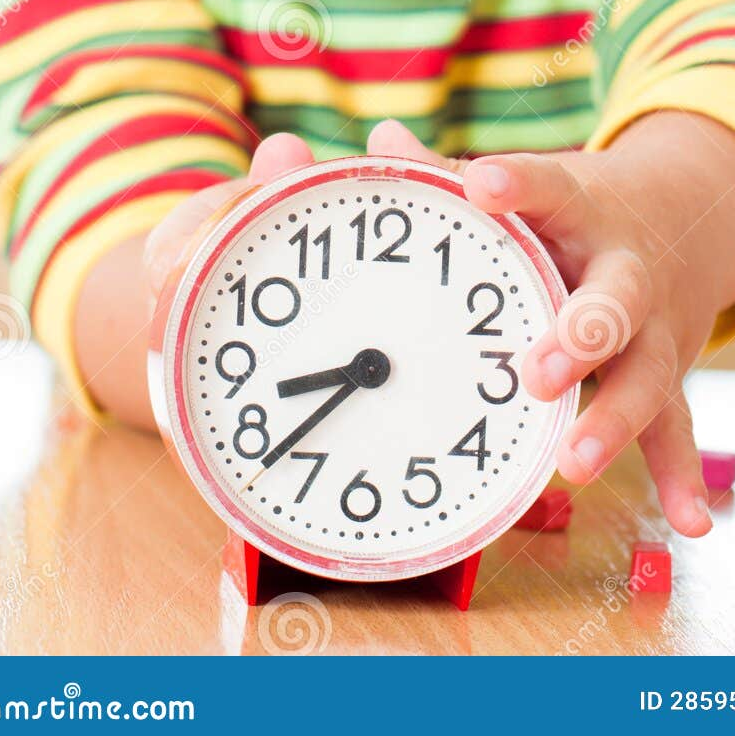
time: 8:37
